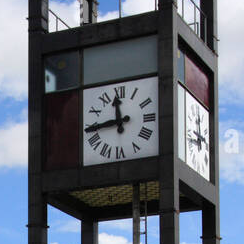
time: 11:44
